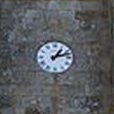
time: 1:12
